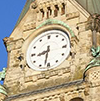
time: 8:32
